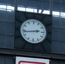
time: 2:43
